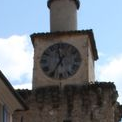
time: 11:35
